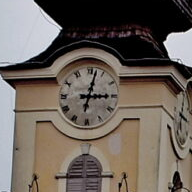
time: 3:02
